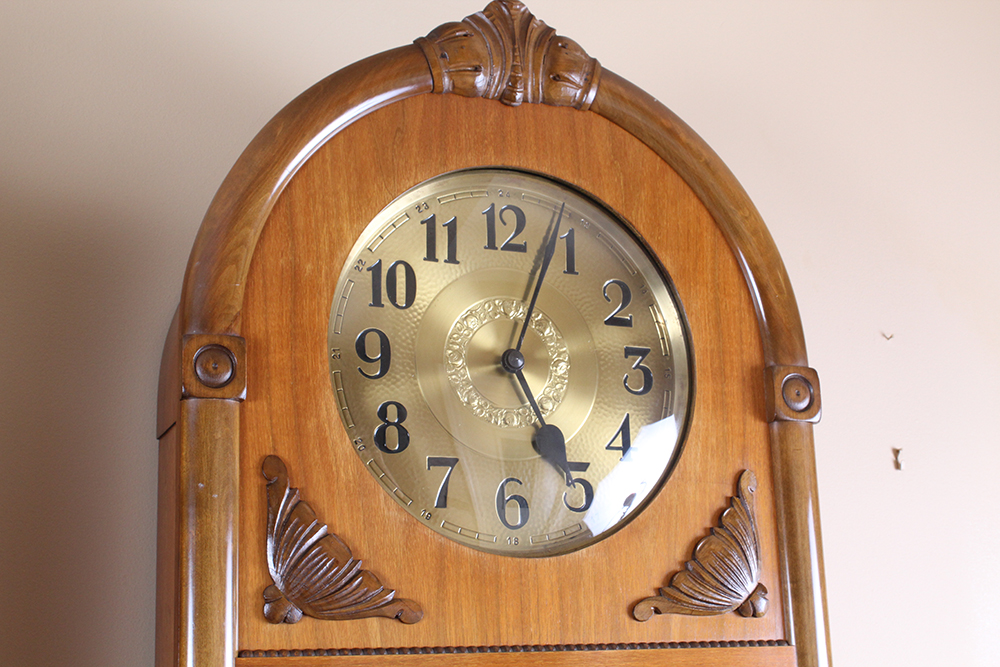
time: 5:03
